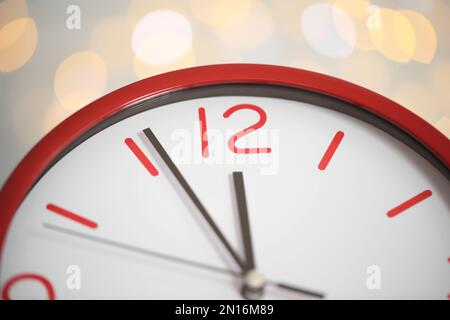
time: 11:55
